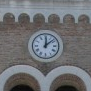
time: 12:08
